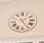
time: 1:24
